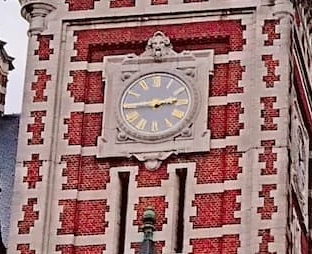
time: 2:44
